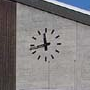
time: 11:42
